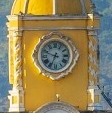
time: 6:48
